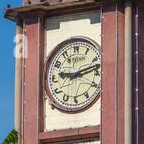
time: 9:12
